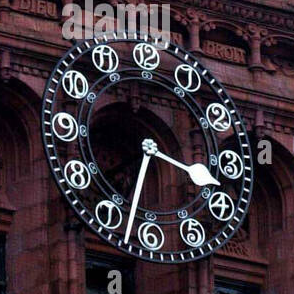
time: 3:32
